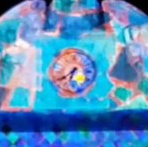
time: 6:38
